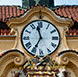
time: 11:34
